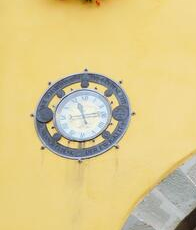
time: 11:13
